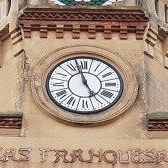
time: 4:57
